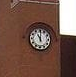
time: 11:00
